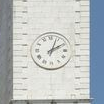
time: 2:03
